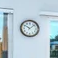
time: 10:07
